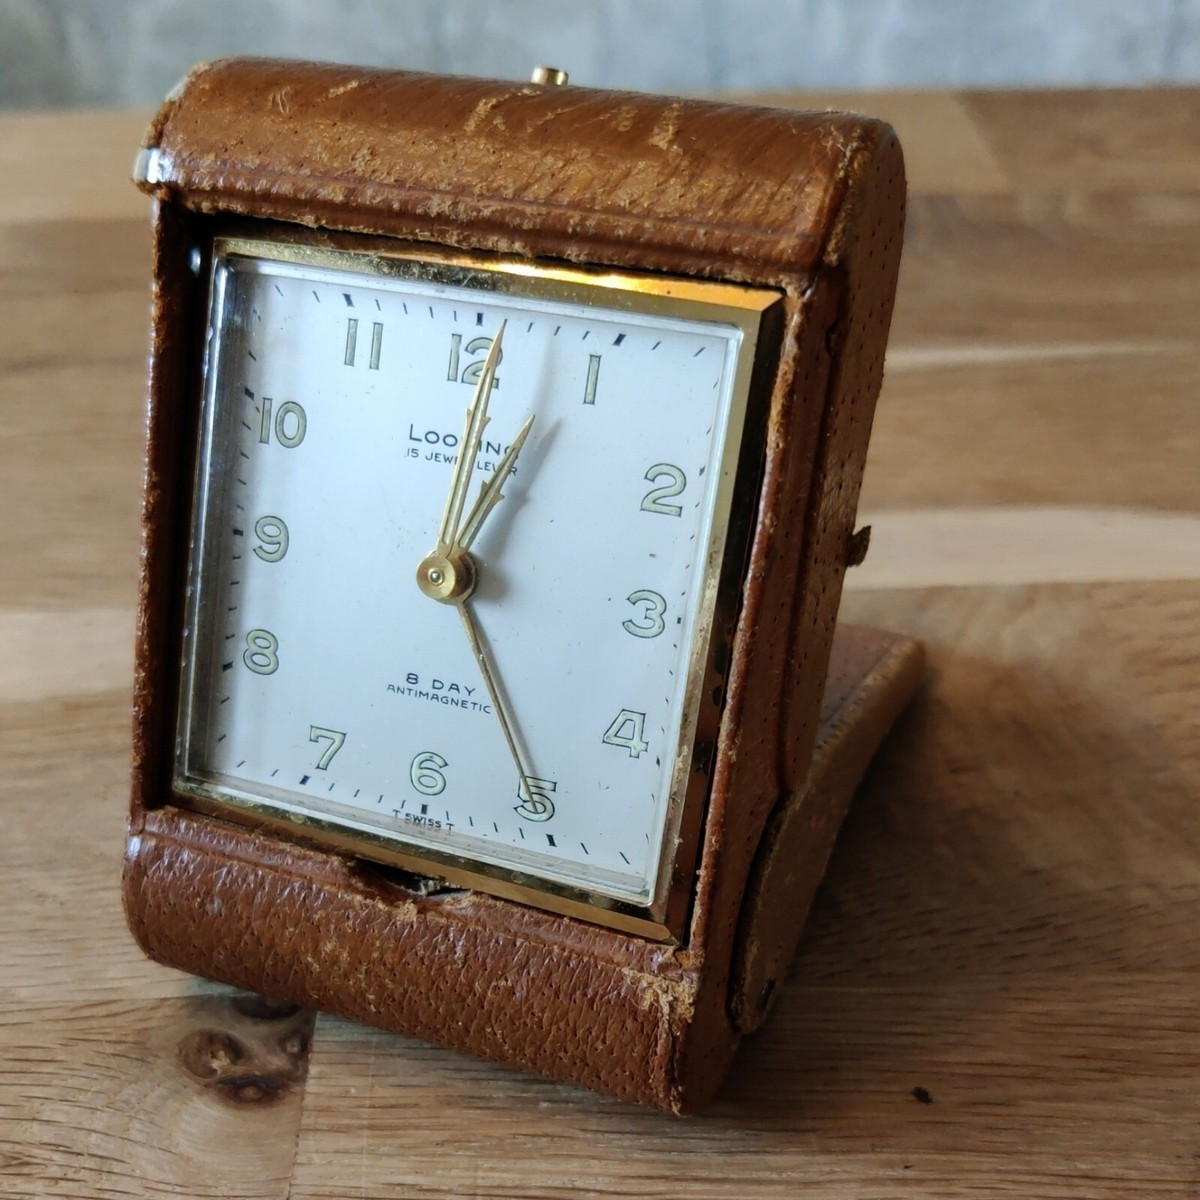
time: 12:24
